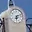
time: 6:11
